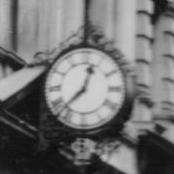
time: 12:37
